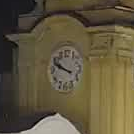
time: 9:48
